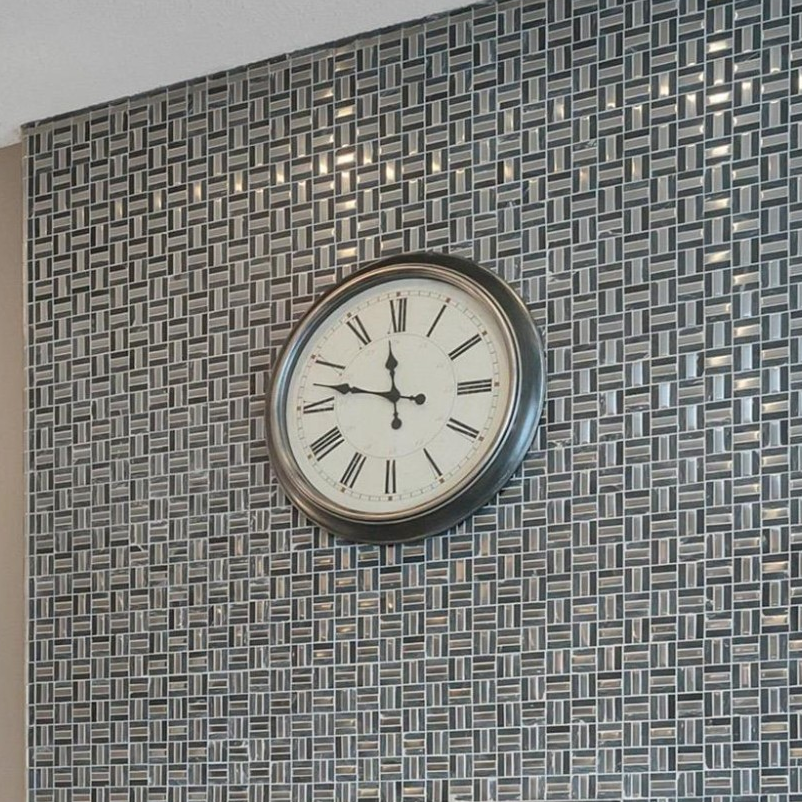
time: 11:47
